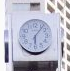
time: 6:06
